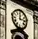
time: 12:13
